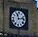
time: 11:12
